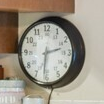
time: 2:31
